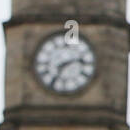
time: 2:35
